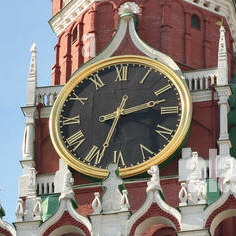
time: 2:33
